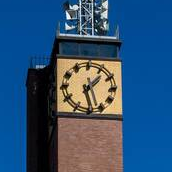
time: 1:27
